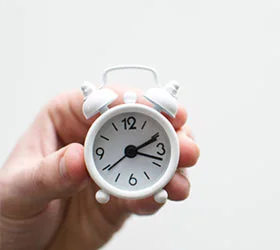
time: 2:18
